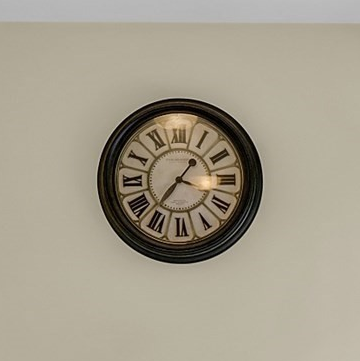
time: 3:36
